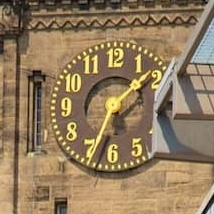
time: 1:34
